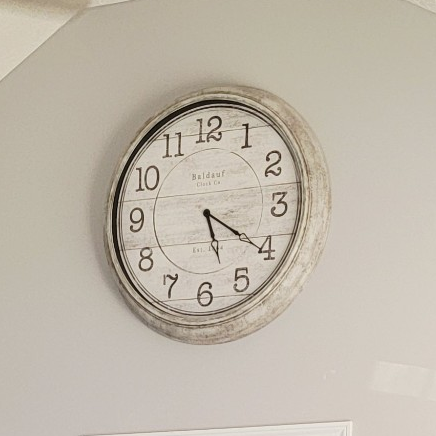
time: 5:20
